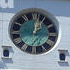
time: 1:02
